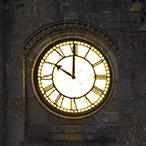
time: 10:00
